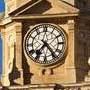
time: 7:24
